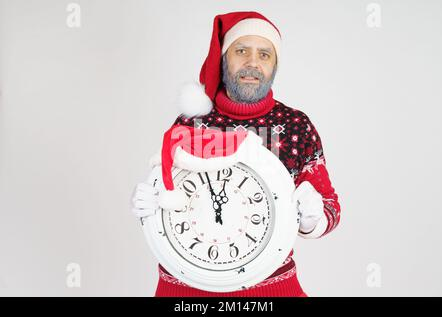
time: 11:55
